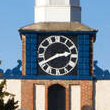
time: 2:40
